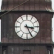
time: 3:25
